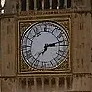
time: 2:36
